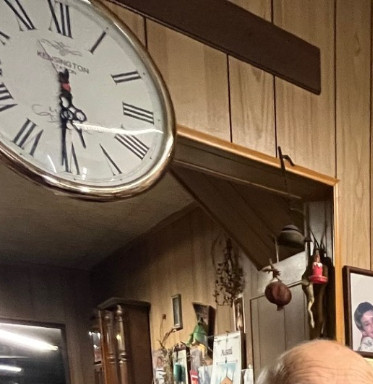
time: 5:30
